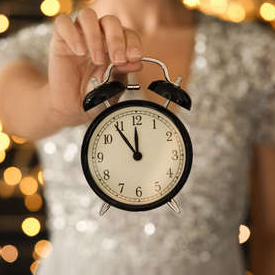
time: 11:53
